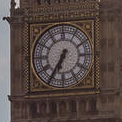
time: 6:35
